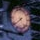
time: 7:38
